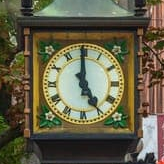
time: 4:59
